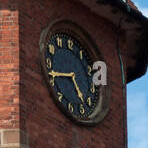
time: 4:42
